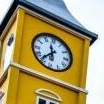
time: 11:37
